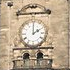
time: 2:00
